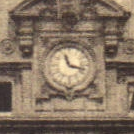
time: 11:17
